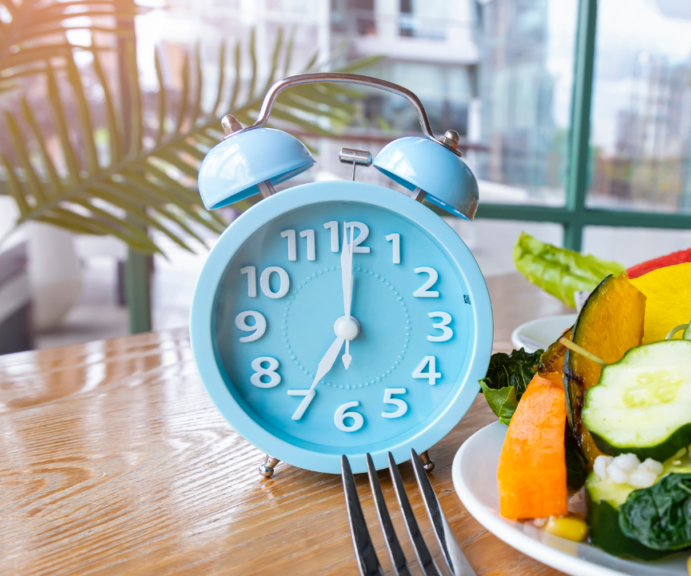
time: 7:00
